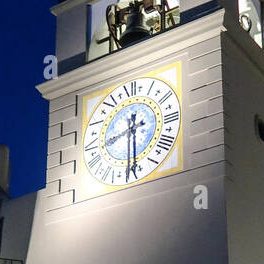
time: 8:29
